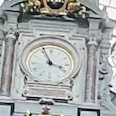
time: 3:56
